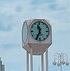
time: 11:34
